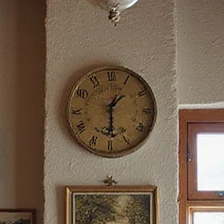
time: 1:29
